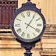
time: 4:05
